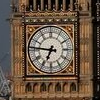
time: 6:46
